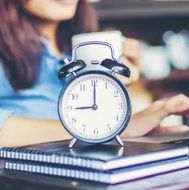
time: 9:00
